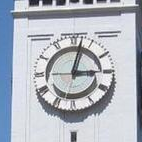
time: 3:02
